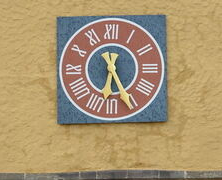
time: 6:25
